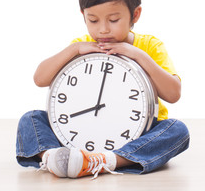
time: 7:59
